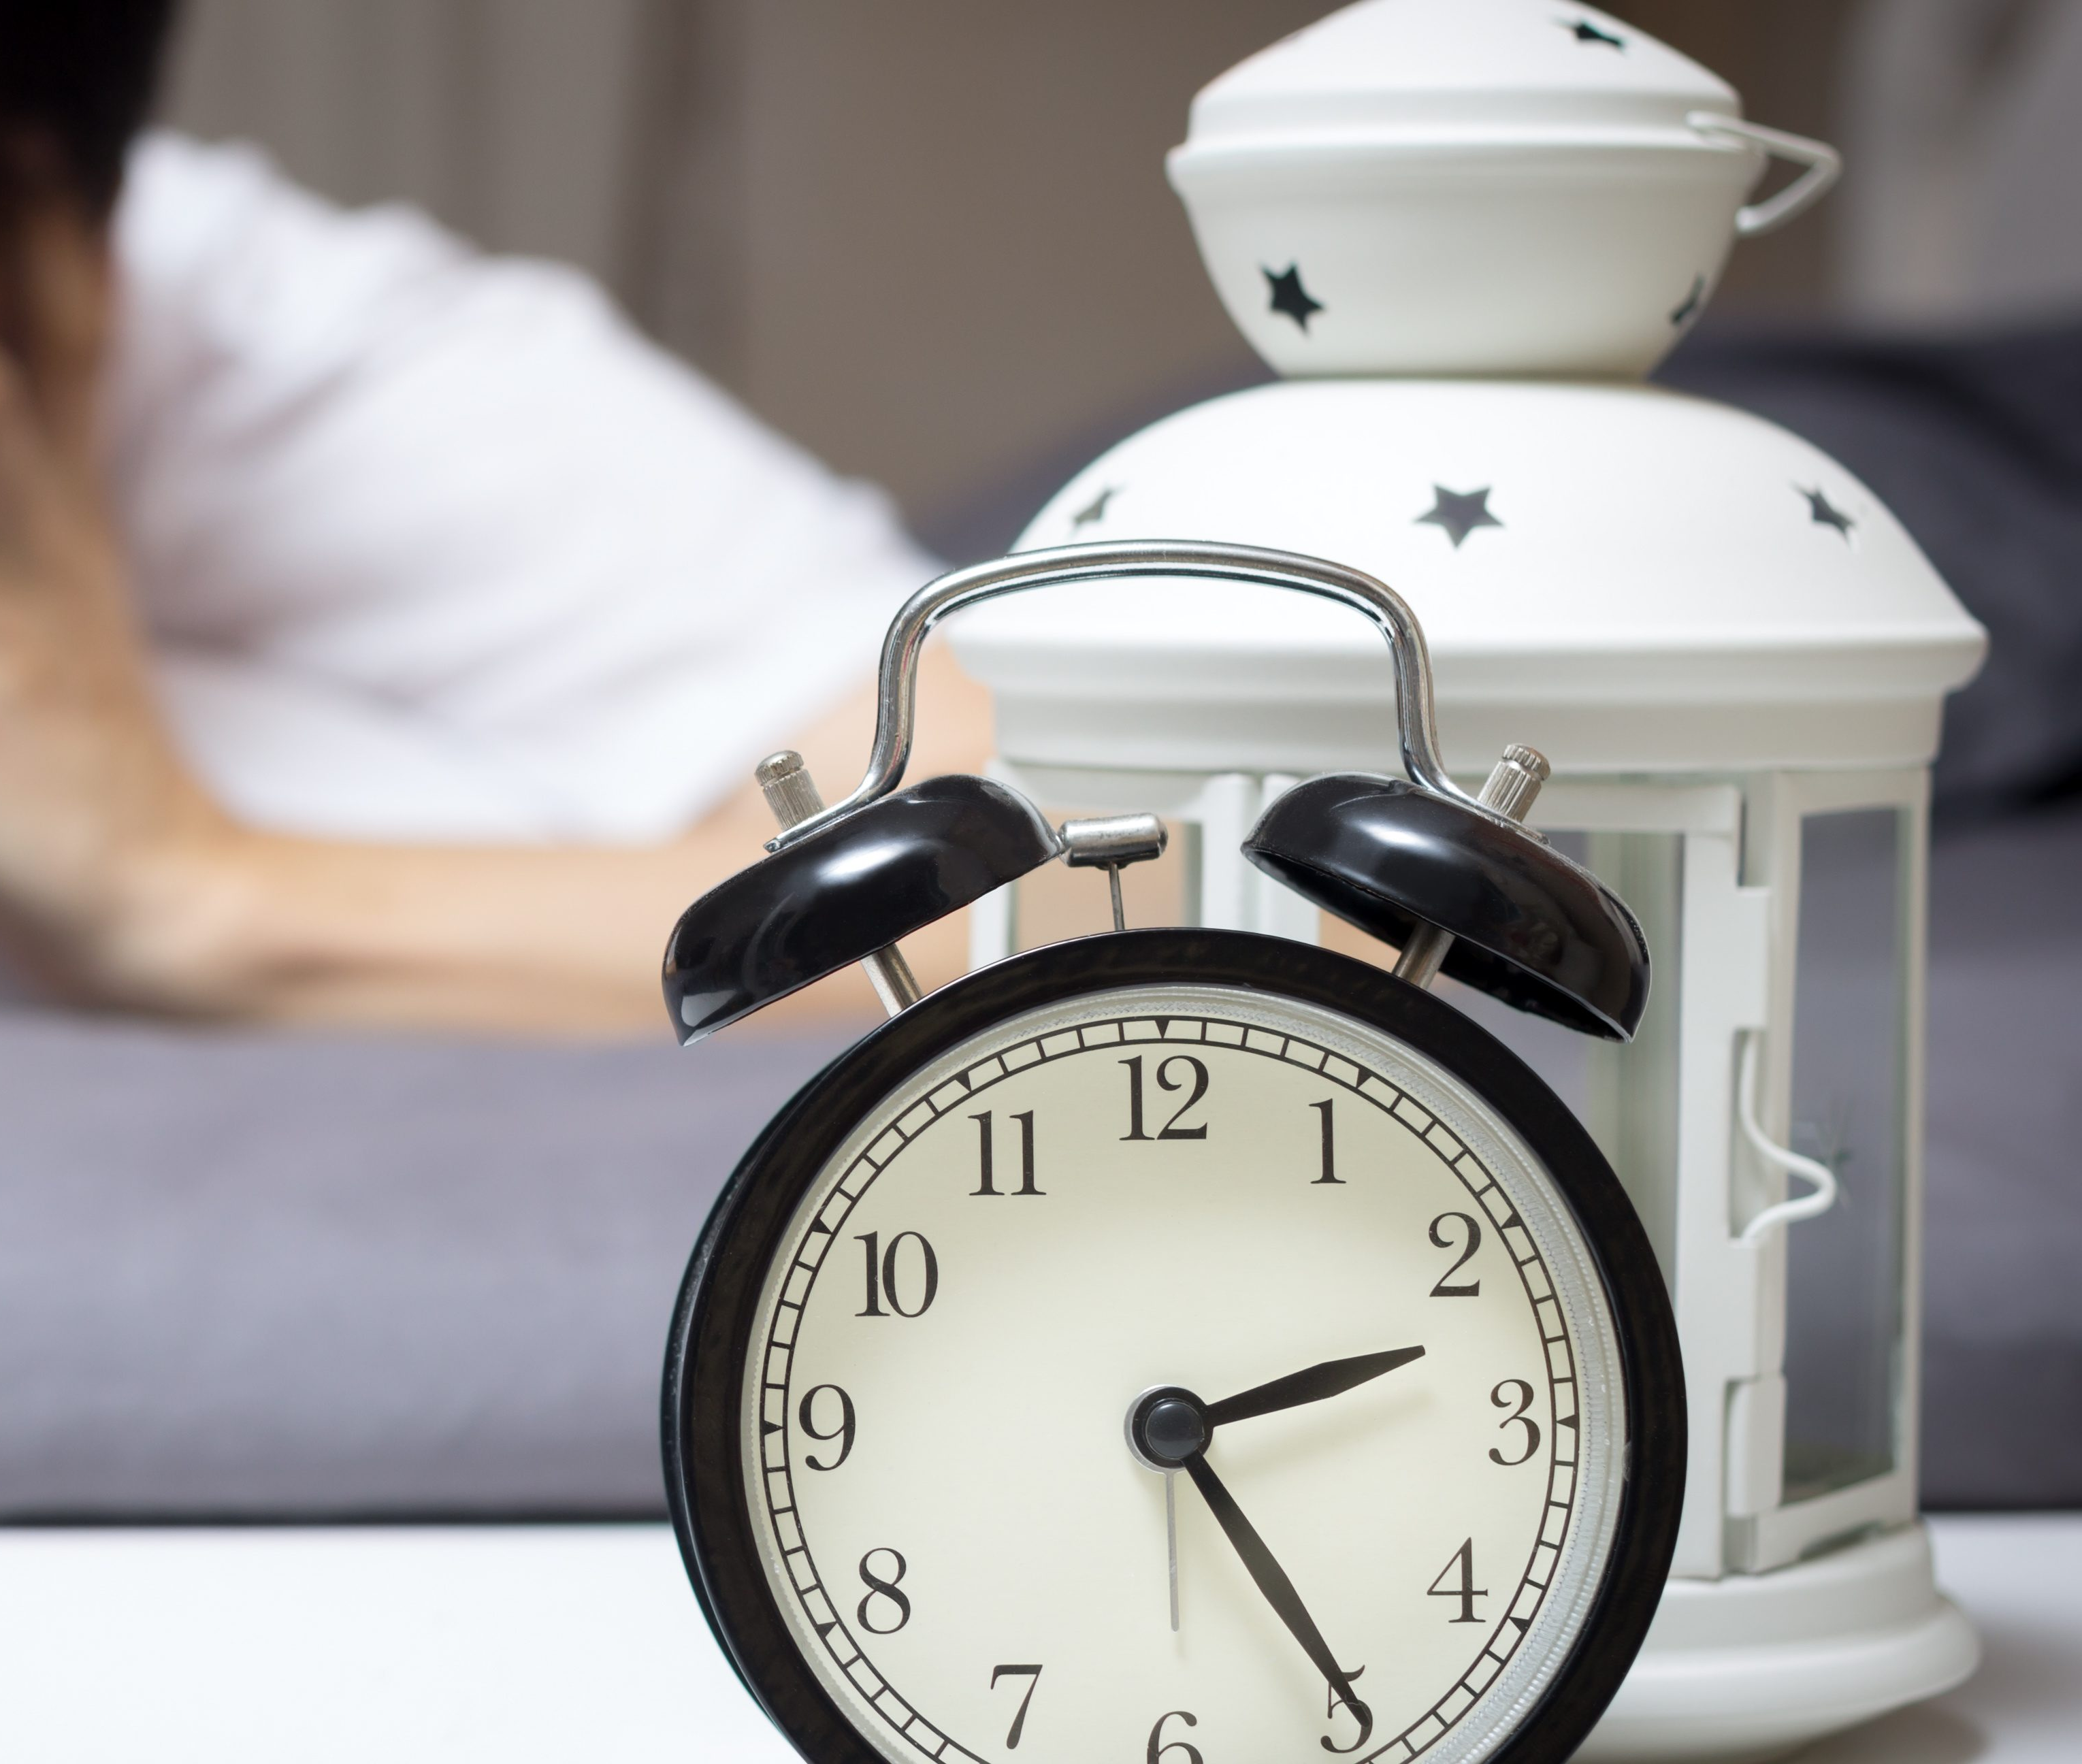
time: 2:24
